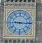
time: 9:15
